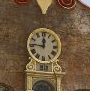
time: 11:46
